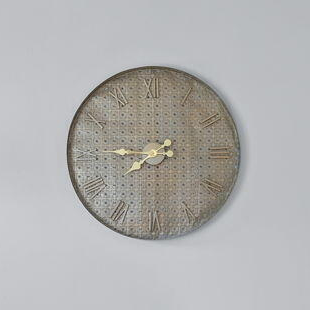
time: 7:45
